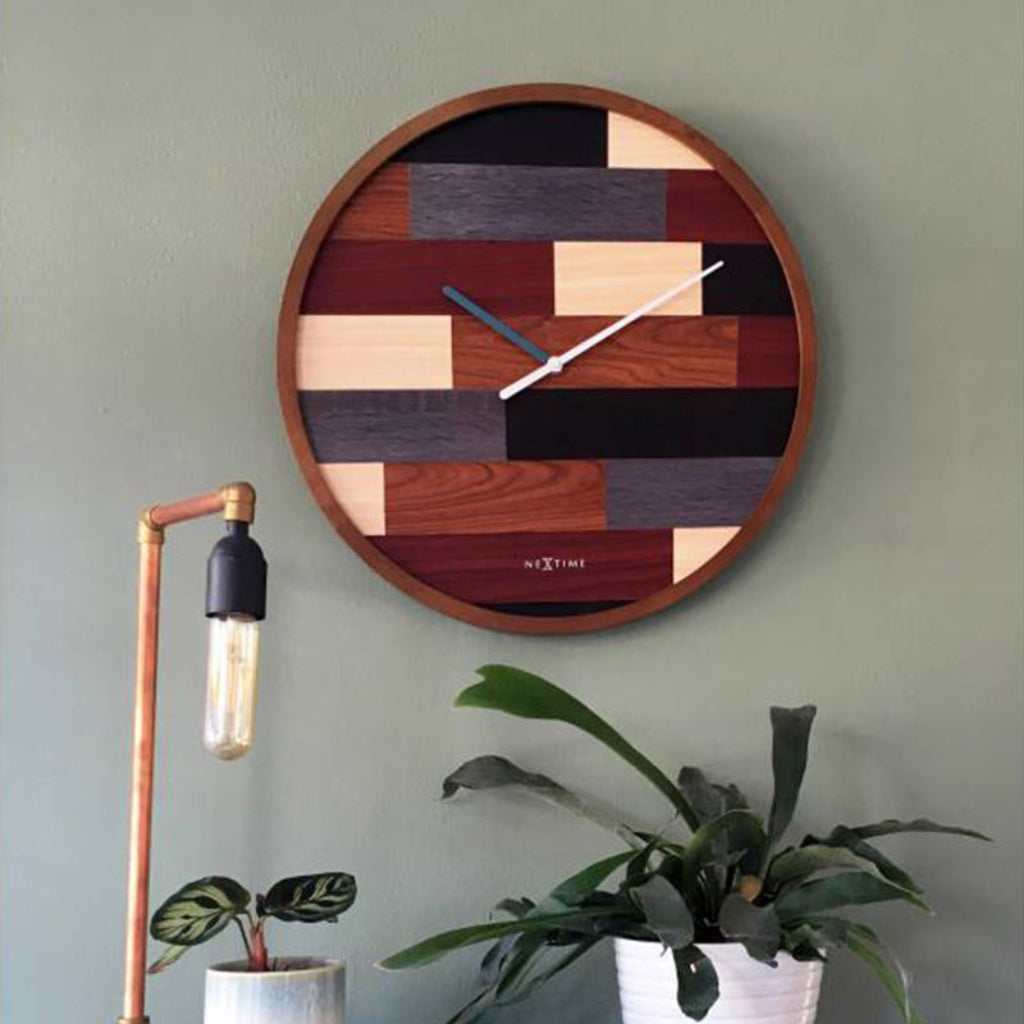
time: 3:09
